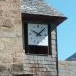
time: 10:07
